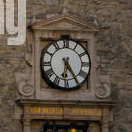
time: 6:24
